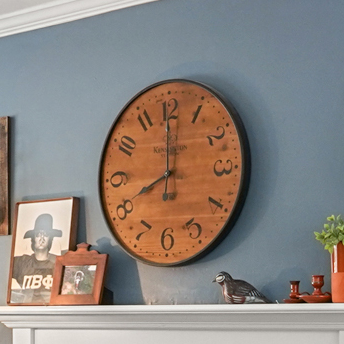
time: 7:59
